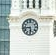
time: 5:43
